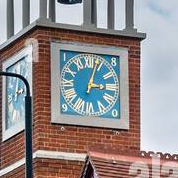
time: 3:02
